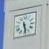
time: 5:28
